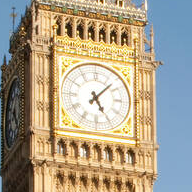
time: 5:07
